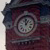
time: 12:58
